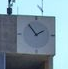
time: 1:54
